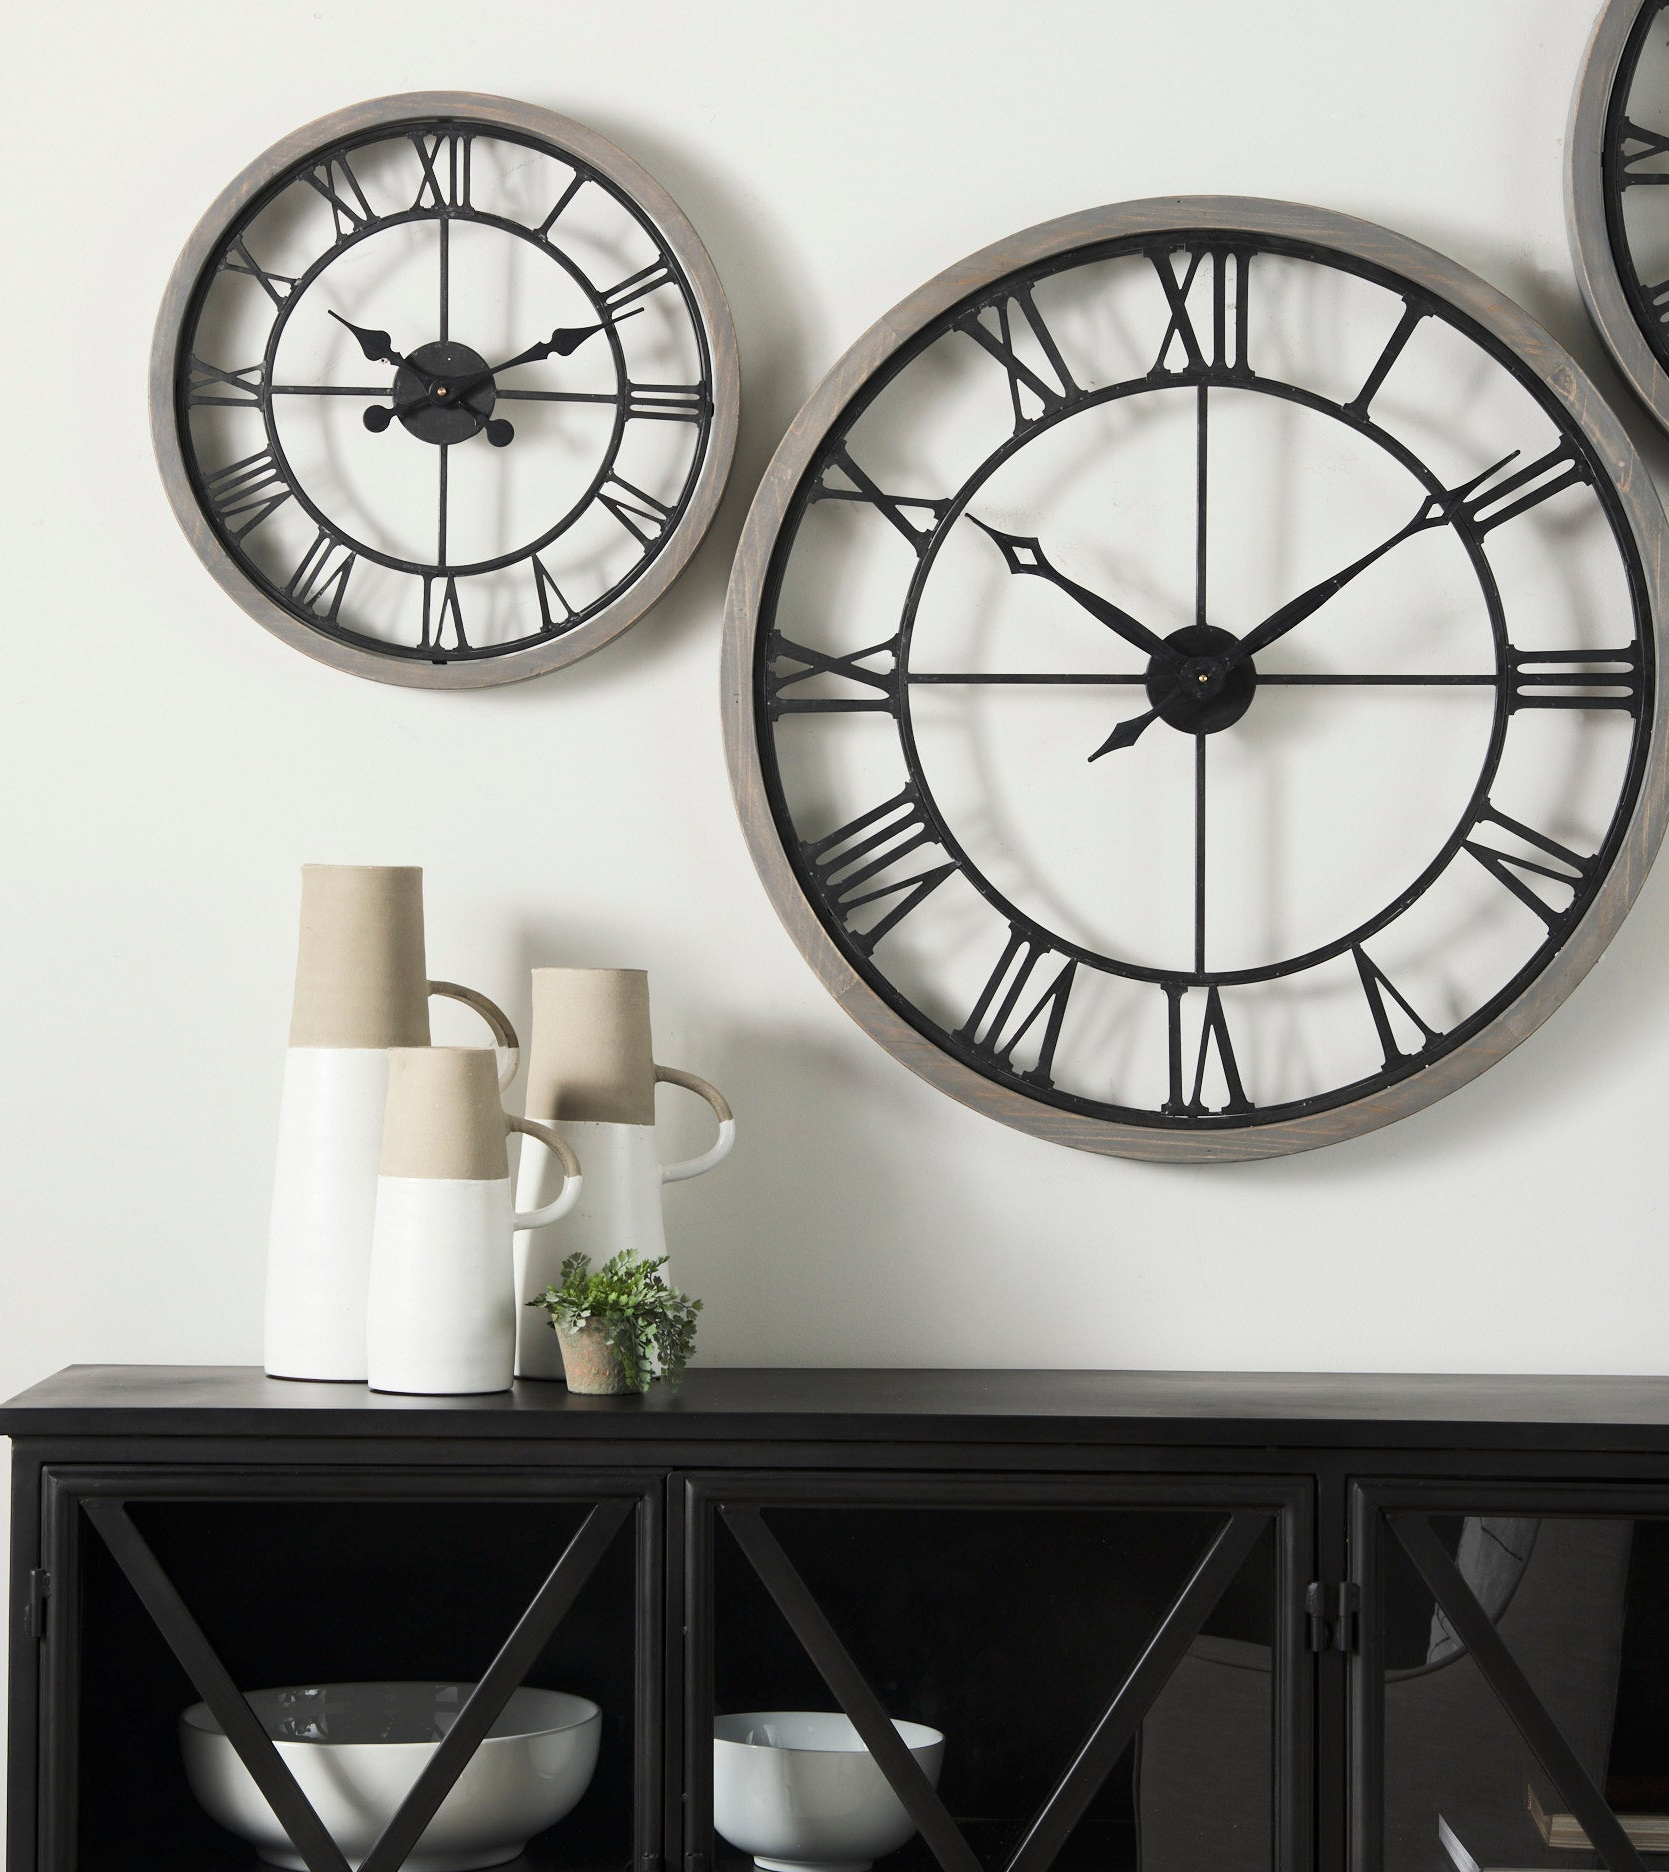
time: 10:09
